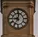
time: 9:01
